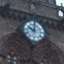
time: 10:00
